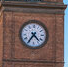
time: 4:35
